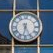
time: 6:25
